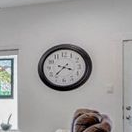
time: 3:37
